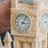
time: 3:04
